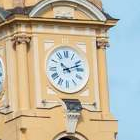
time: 10:11
